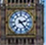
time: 2:23
